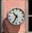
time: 10:34
